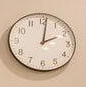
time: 2:01
